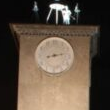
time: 8:12
